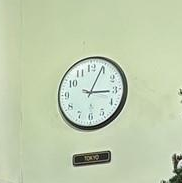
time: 3:04
